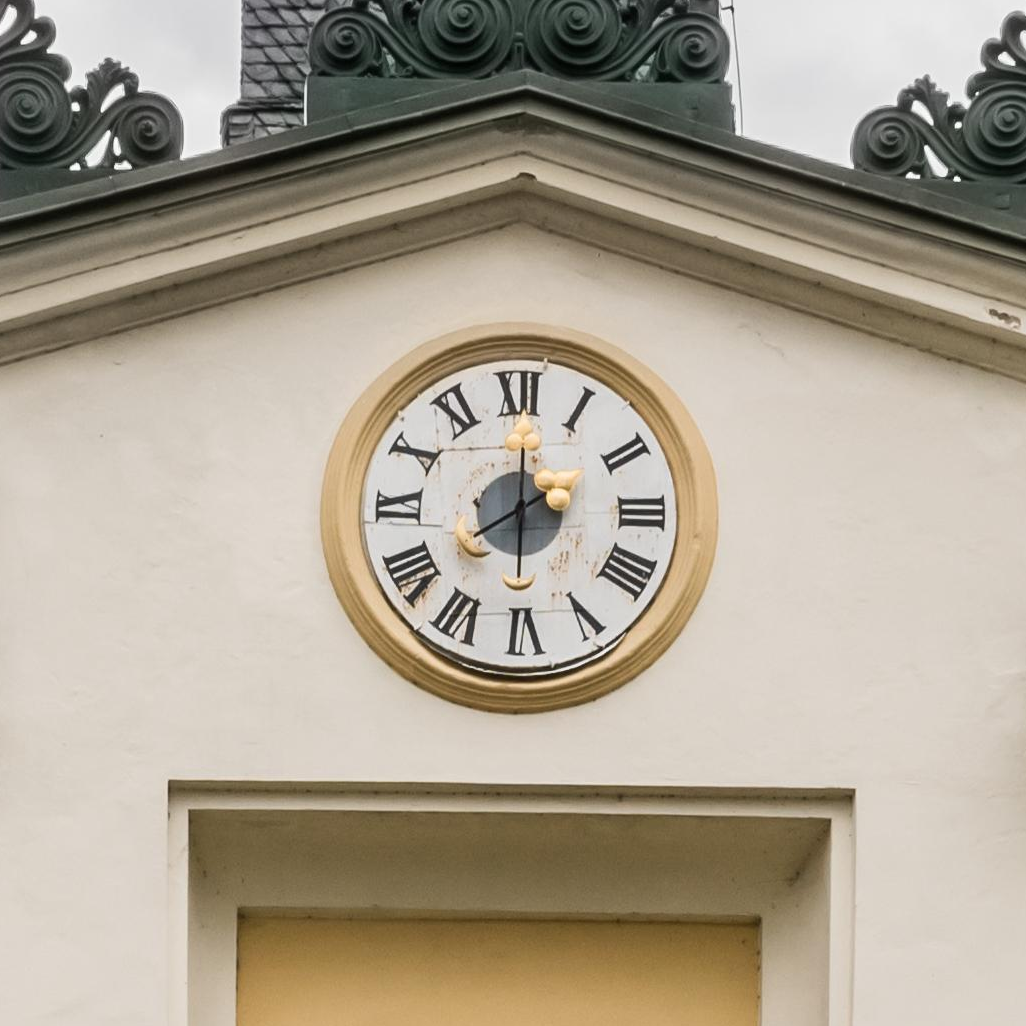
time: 8:00
